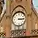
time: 3:14
